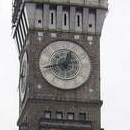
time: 12:42
